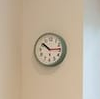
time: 10:14
